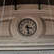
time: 3:28
